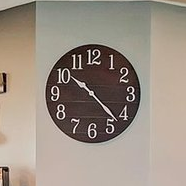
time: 10:22
